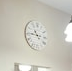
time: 10:45
